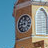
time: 9:01
